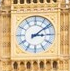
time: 3:09
